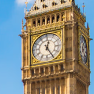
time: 12:24
